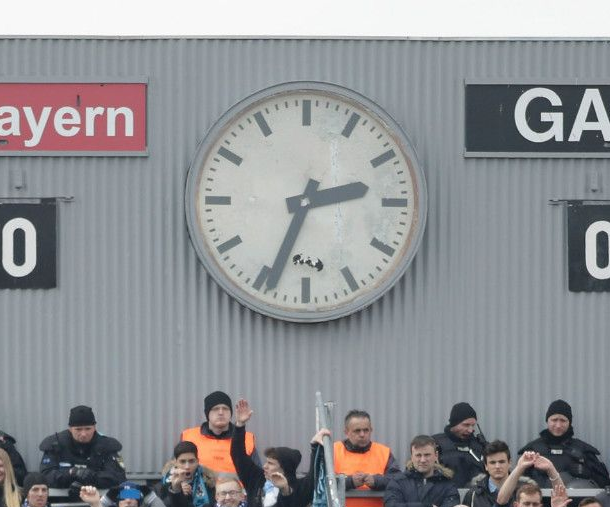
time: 2:33
